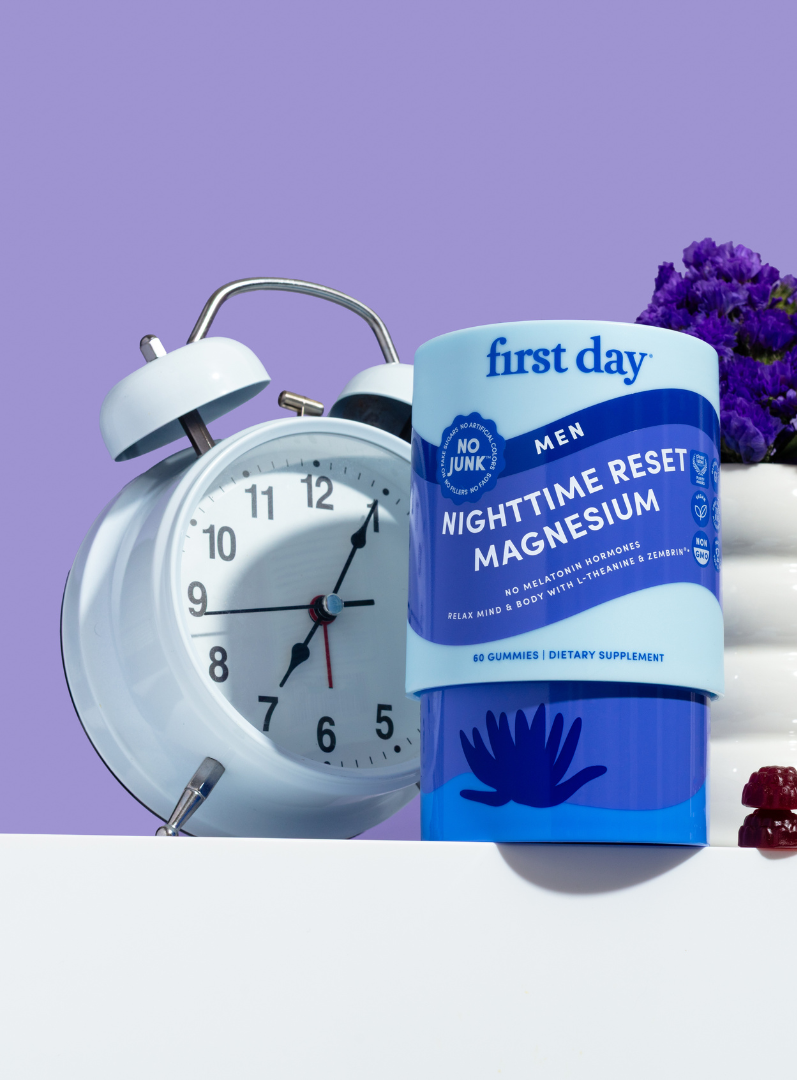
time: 7:04
